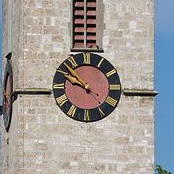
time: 9:51
